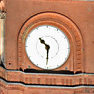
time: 10:30
